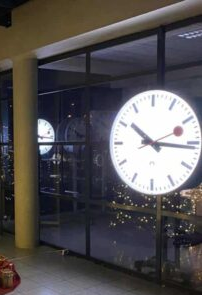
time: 10:15
